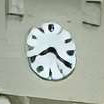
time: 8:20
